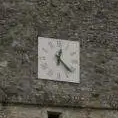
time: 12:22
